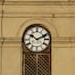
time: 10:10
